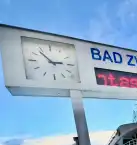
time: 2:53
